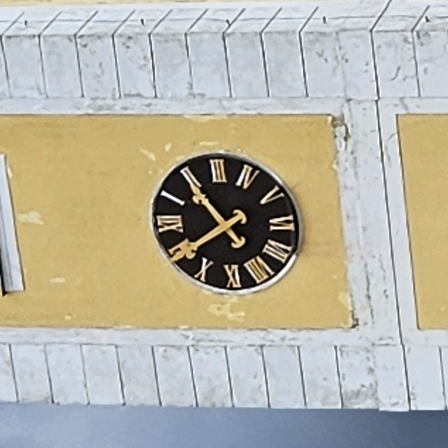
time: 7:54
